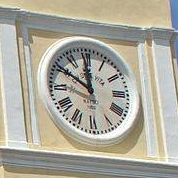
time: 11:50
